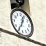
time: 12:34
